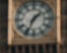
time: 1:34
